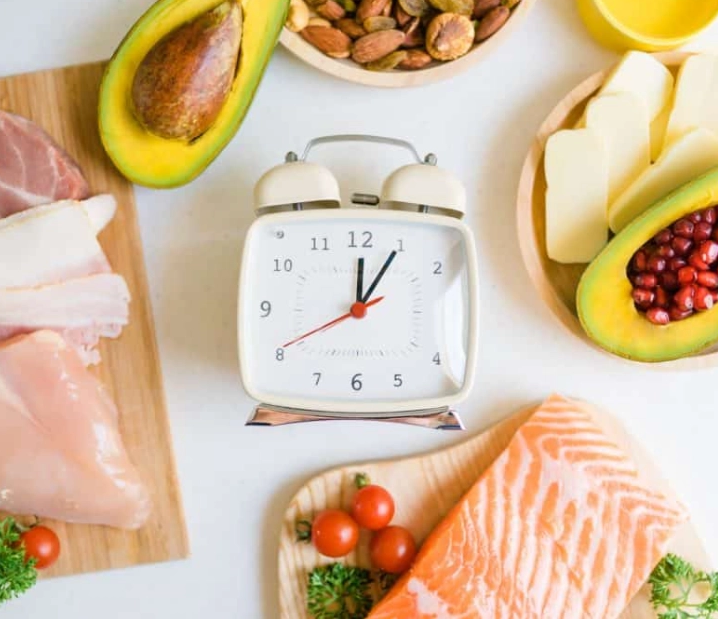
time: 12:05
